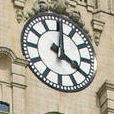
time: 4:00
